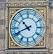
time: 10:41
